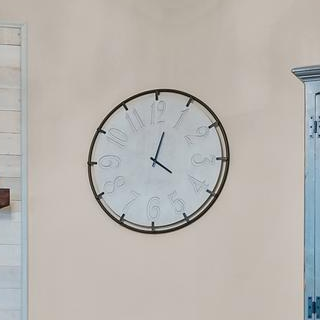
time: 4:02
